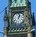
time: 1:02
